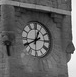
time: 12:40
